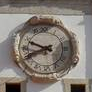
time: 9:41
